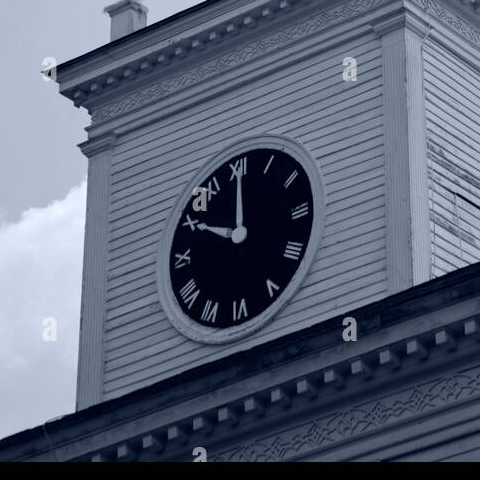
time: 10:00
